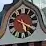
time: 5:19
